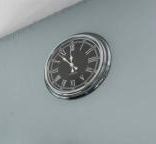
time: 11:52
